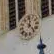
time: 12:23
